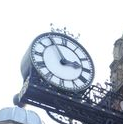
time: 2:55
